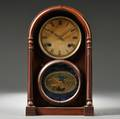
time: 1:50
